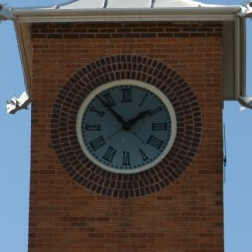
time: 1:53
